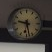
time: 9:28
